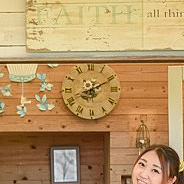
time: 8:10
